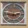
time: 2:46
